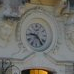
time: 9:23
